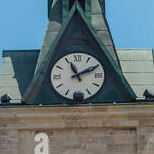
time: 11:10
